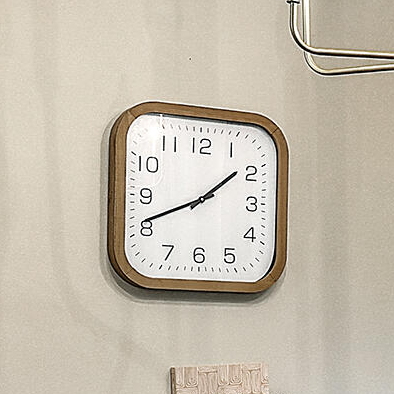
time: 1:41
